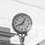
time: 8:04
